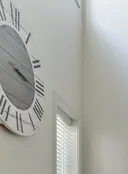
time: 3:15
